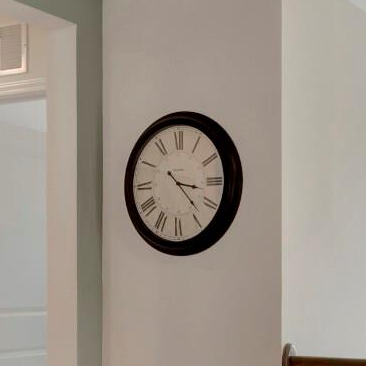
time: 3:22
